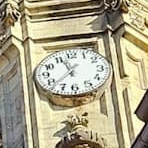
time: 11:37
